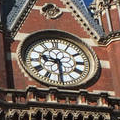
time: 9:29
